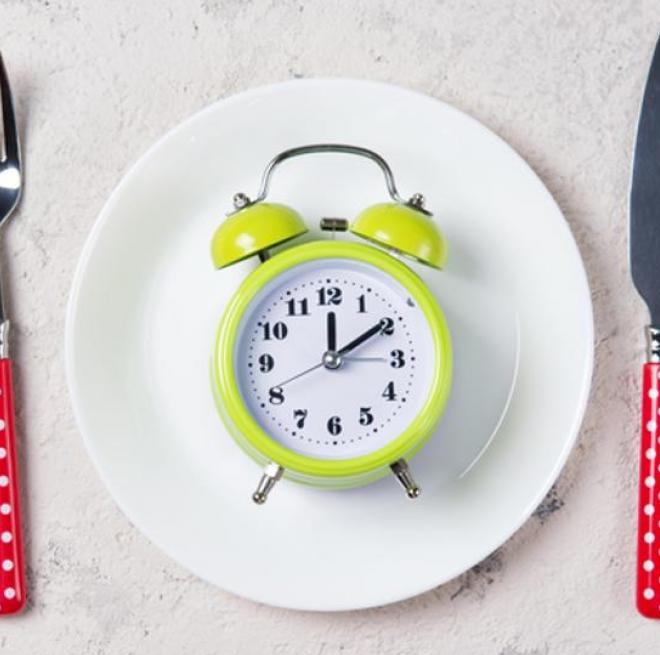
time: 12:09
